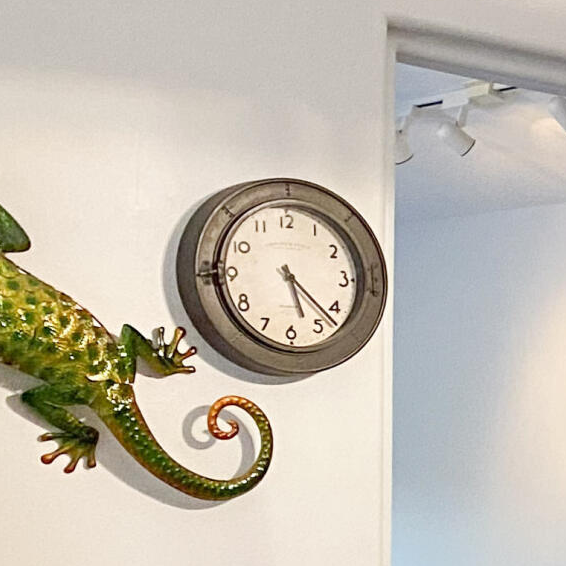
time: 5:22
